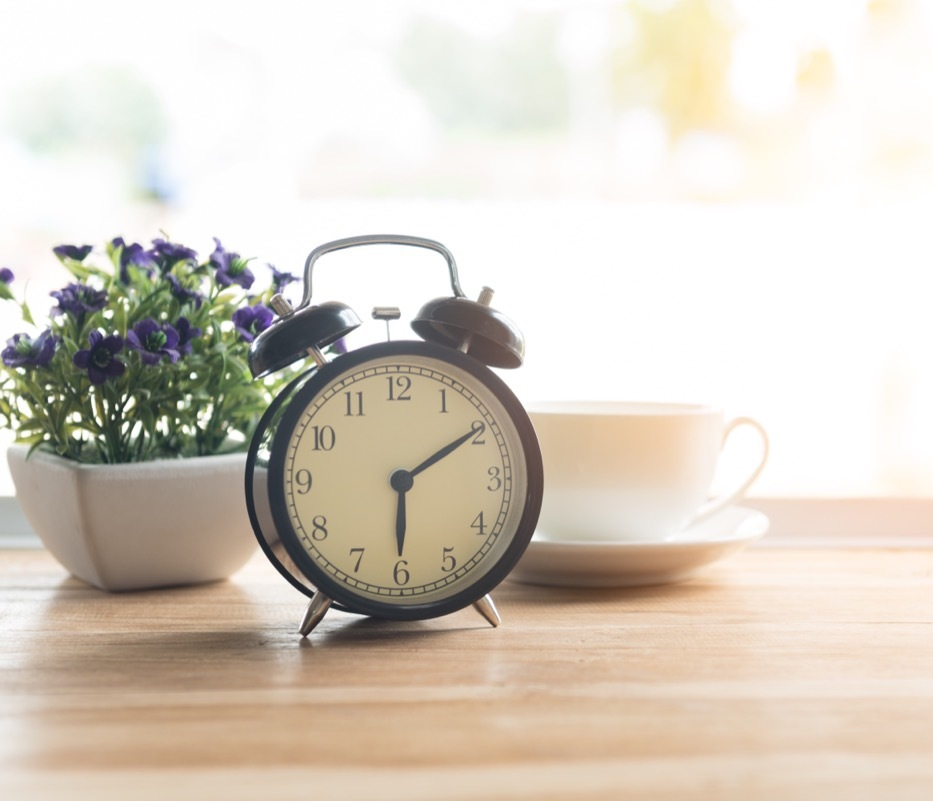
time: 6:09
